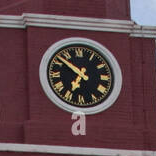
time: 6:51
